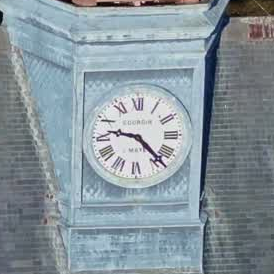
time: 9:22
